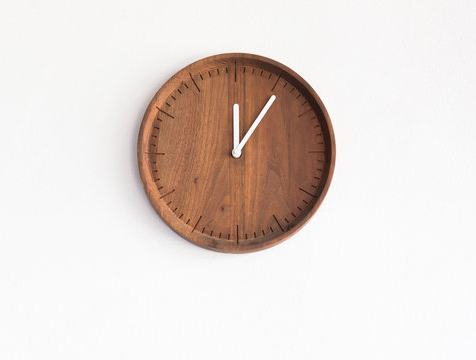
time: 12:05
